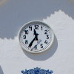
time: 11:35
